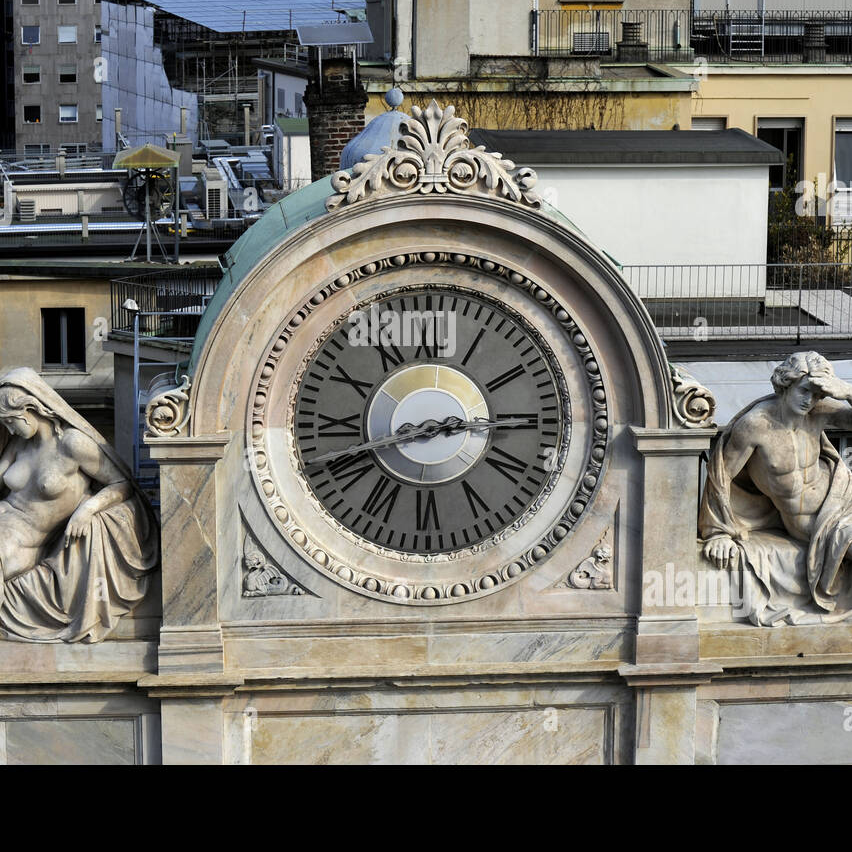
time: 8:14
